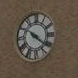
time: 10:21
